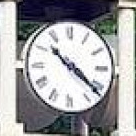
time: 10:21
